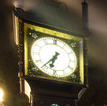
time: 6:36
